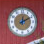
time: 12:10
